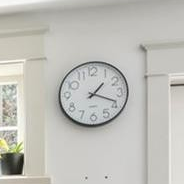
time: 1:18
